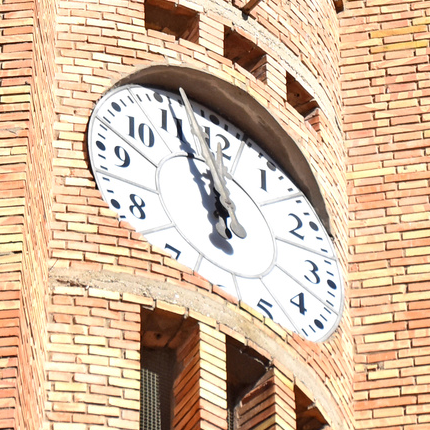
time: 11:56
